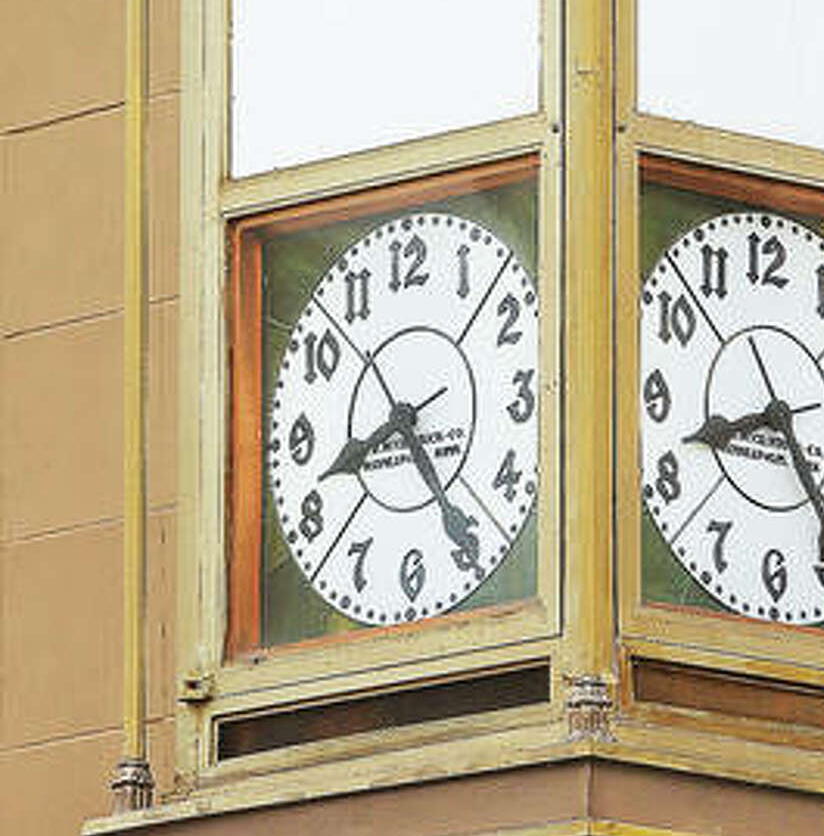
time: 8:24
